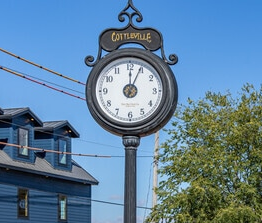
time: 12:04
